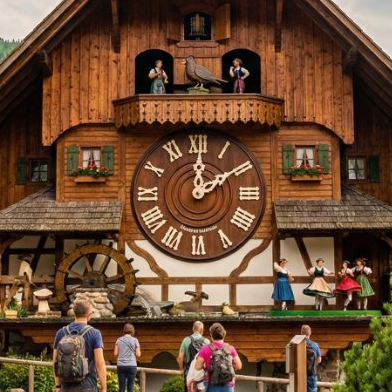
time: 12:09
